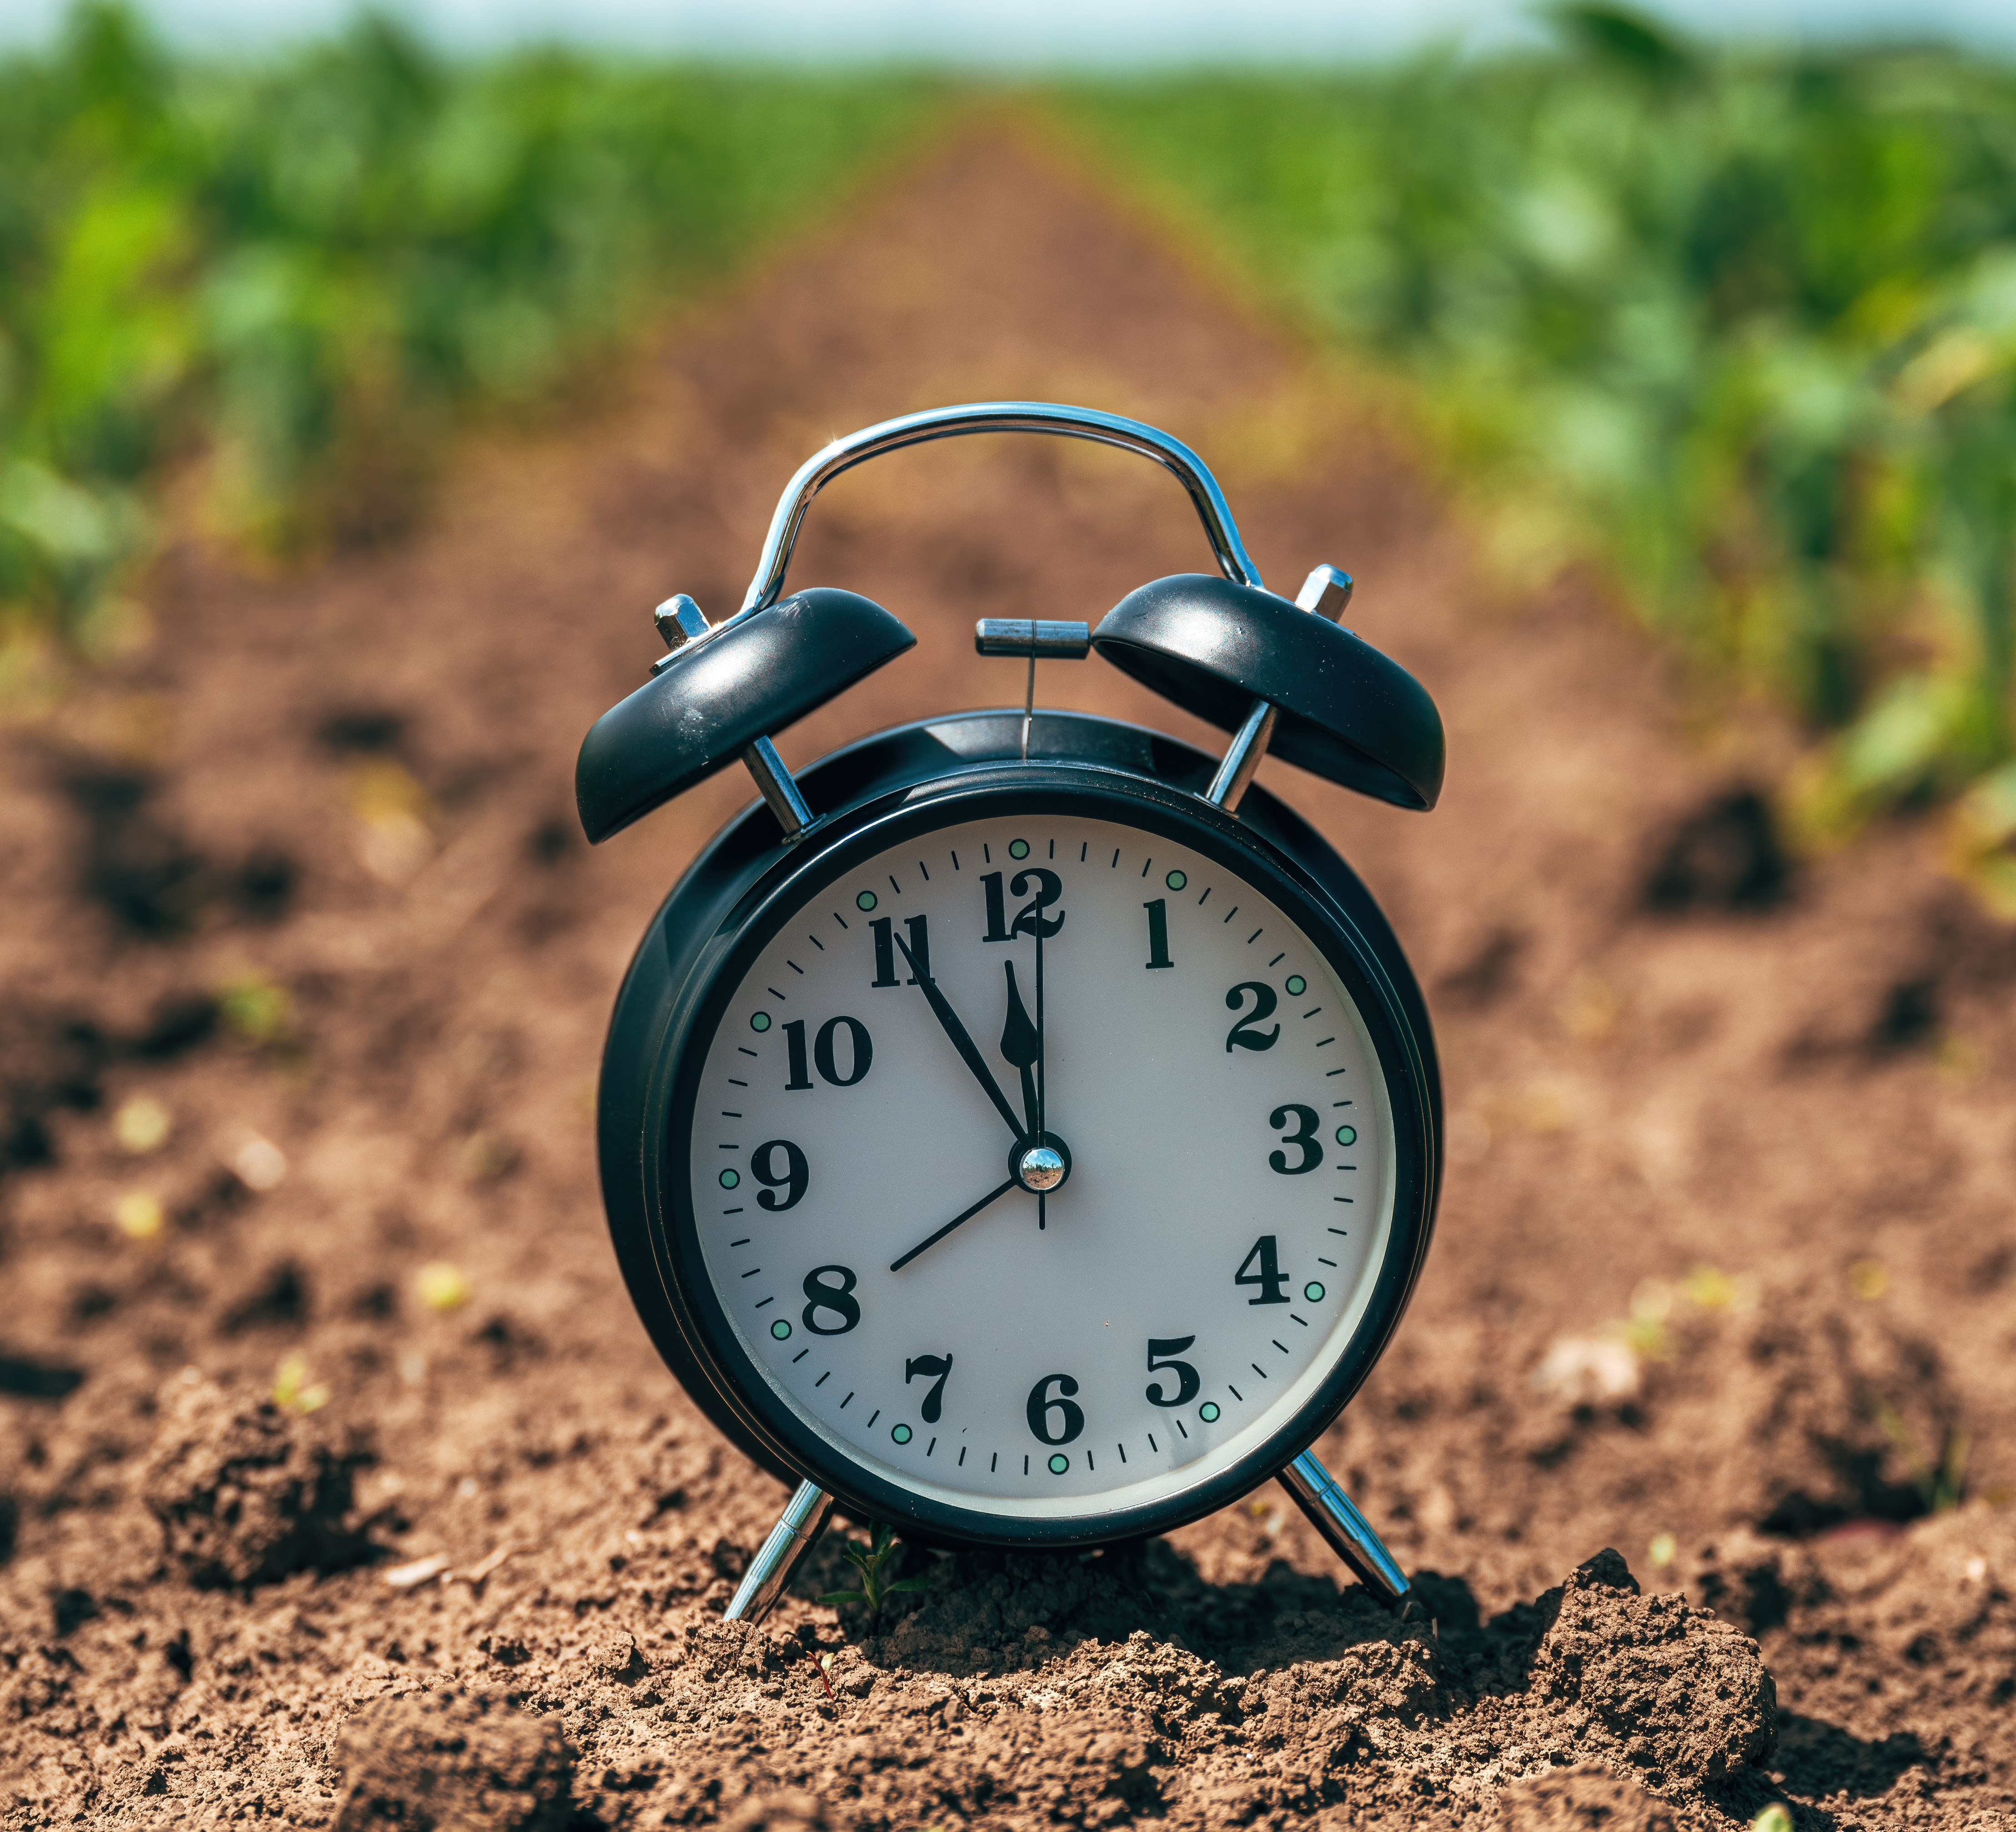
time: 11:00
